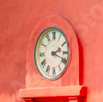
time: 2:18
